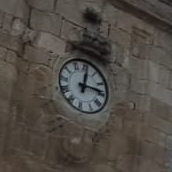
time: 12:14
